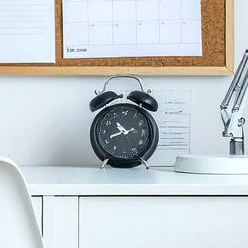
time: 10:41
